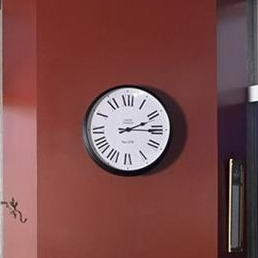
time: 2:15
